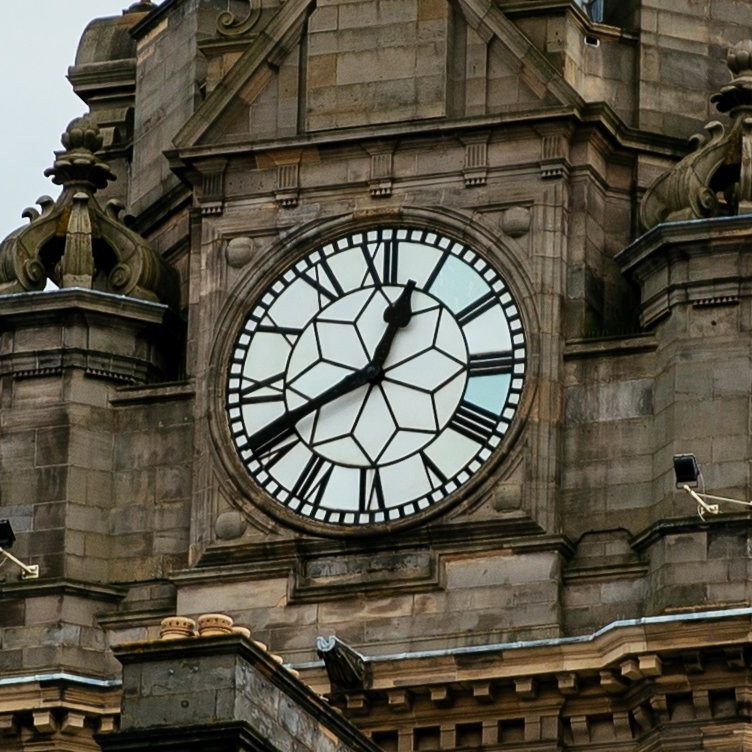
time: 12:40
